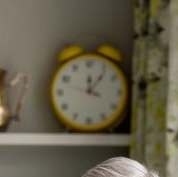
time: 12:06
